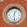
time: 12:28
